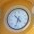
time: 4:33
